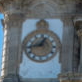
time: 12:43
